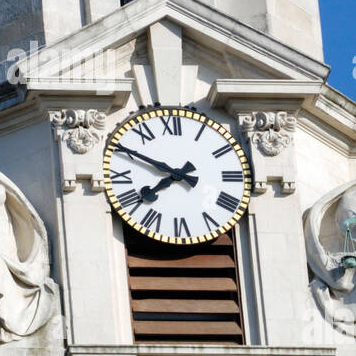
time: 7:49
